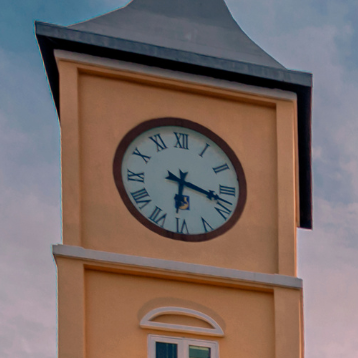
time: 6:17
